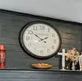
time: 1:50
